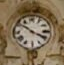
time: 3:51
